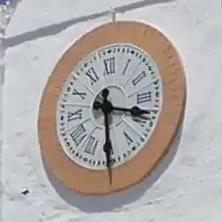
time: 3:29
